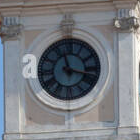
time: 11:17
